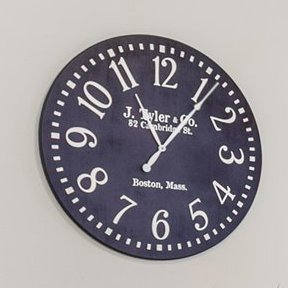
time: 11:06
